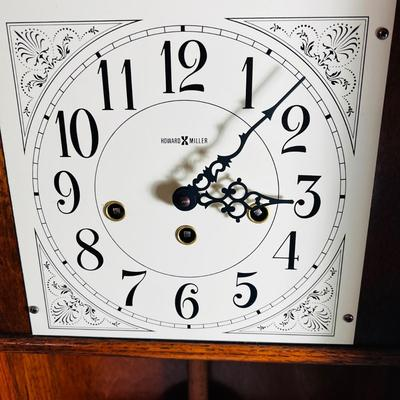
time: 3:07
